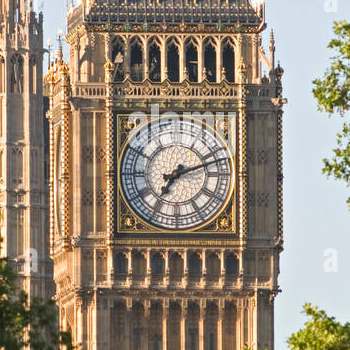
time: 7:12
